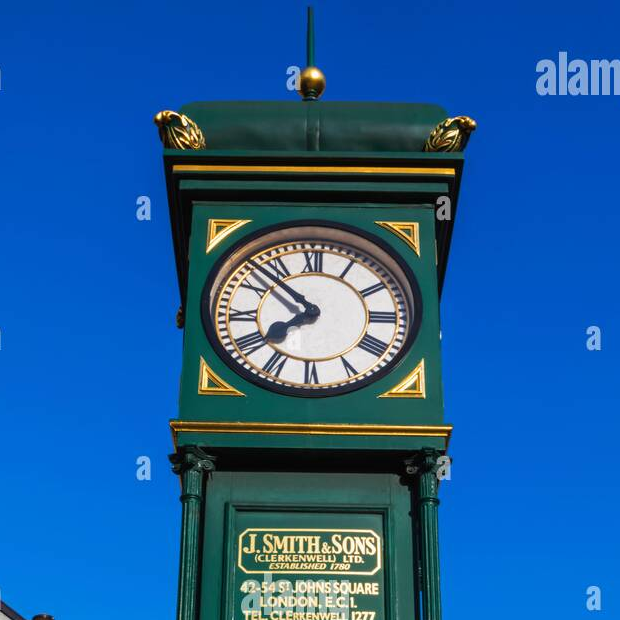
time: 7:52
